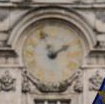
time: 1:56
